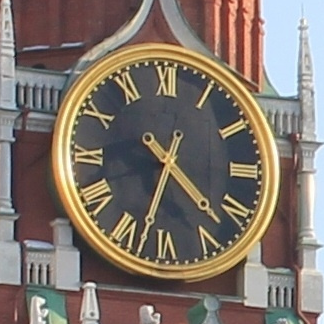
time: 4:32
